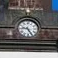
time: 9:25
